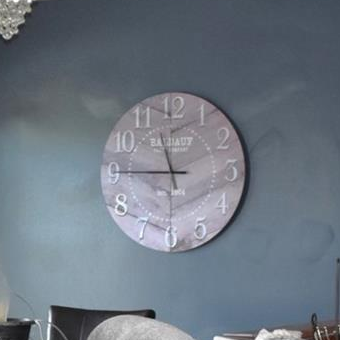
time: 11:45
